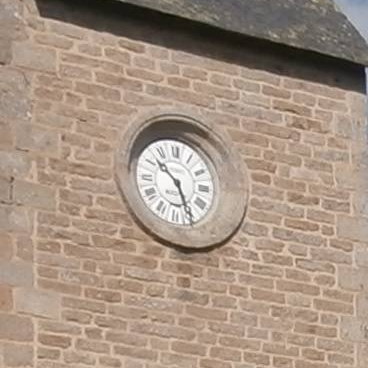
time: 10:26
